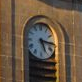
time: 5:15
